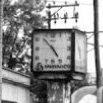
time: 4:52
